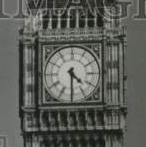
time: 4:30
